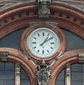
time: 1:09
